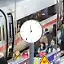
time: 11:35
